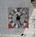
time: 1:26
